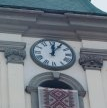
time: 12:05
